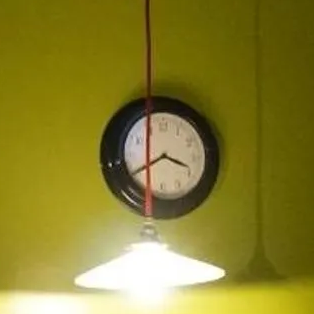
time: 3:40
